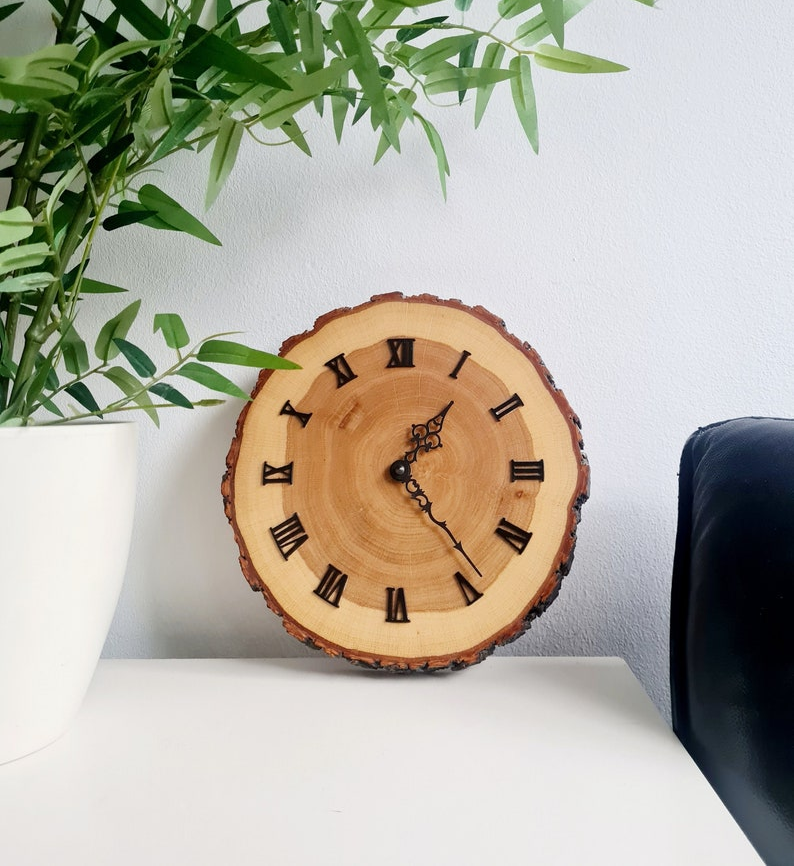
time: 1:23
